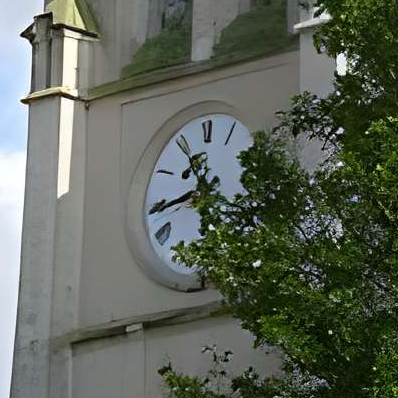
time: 10:43
